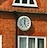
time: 12:26
